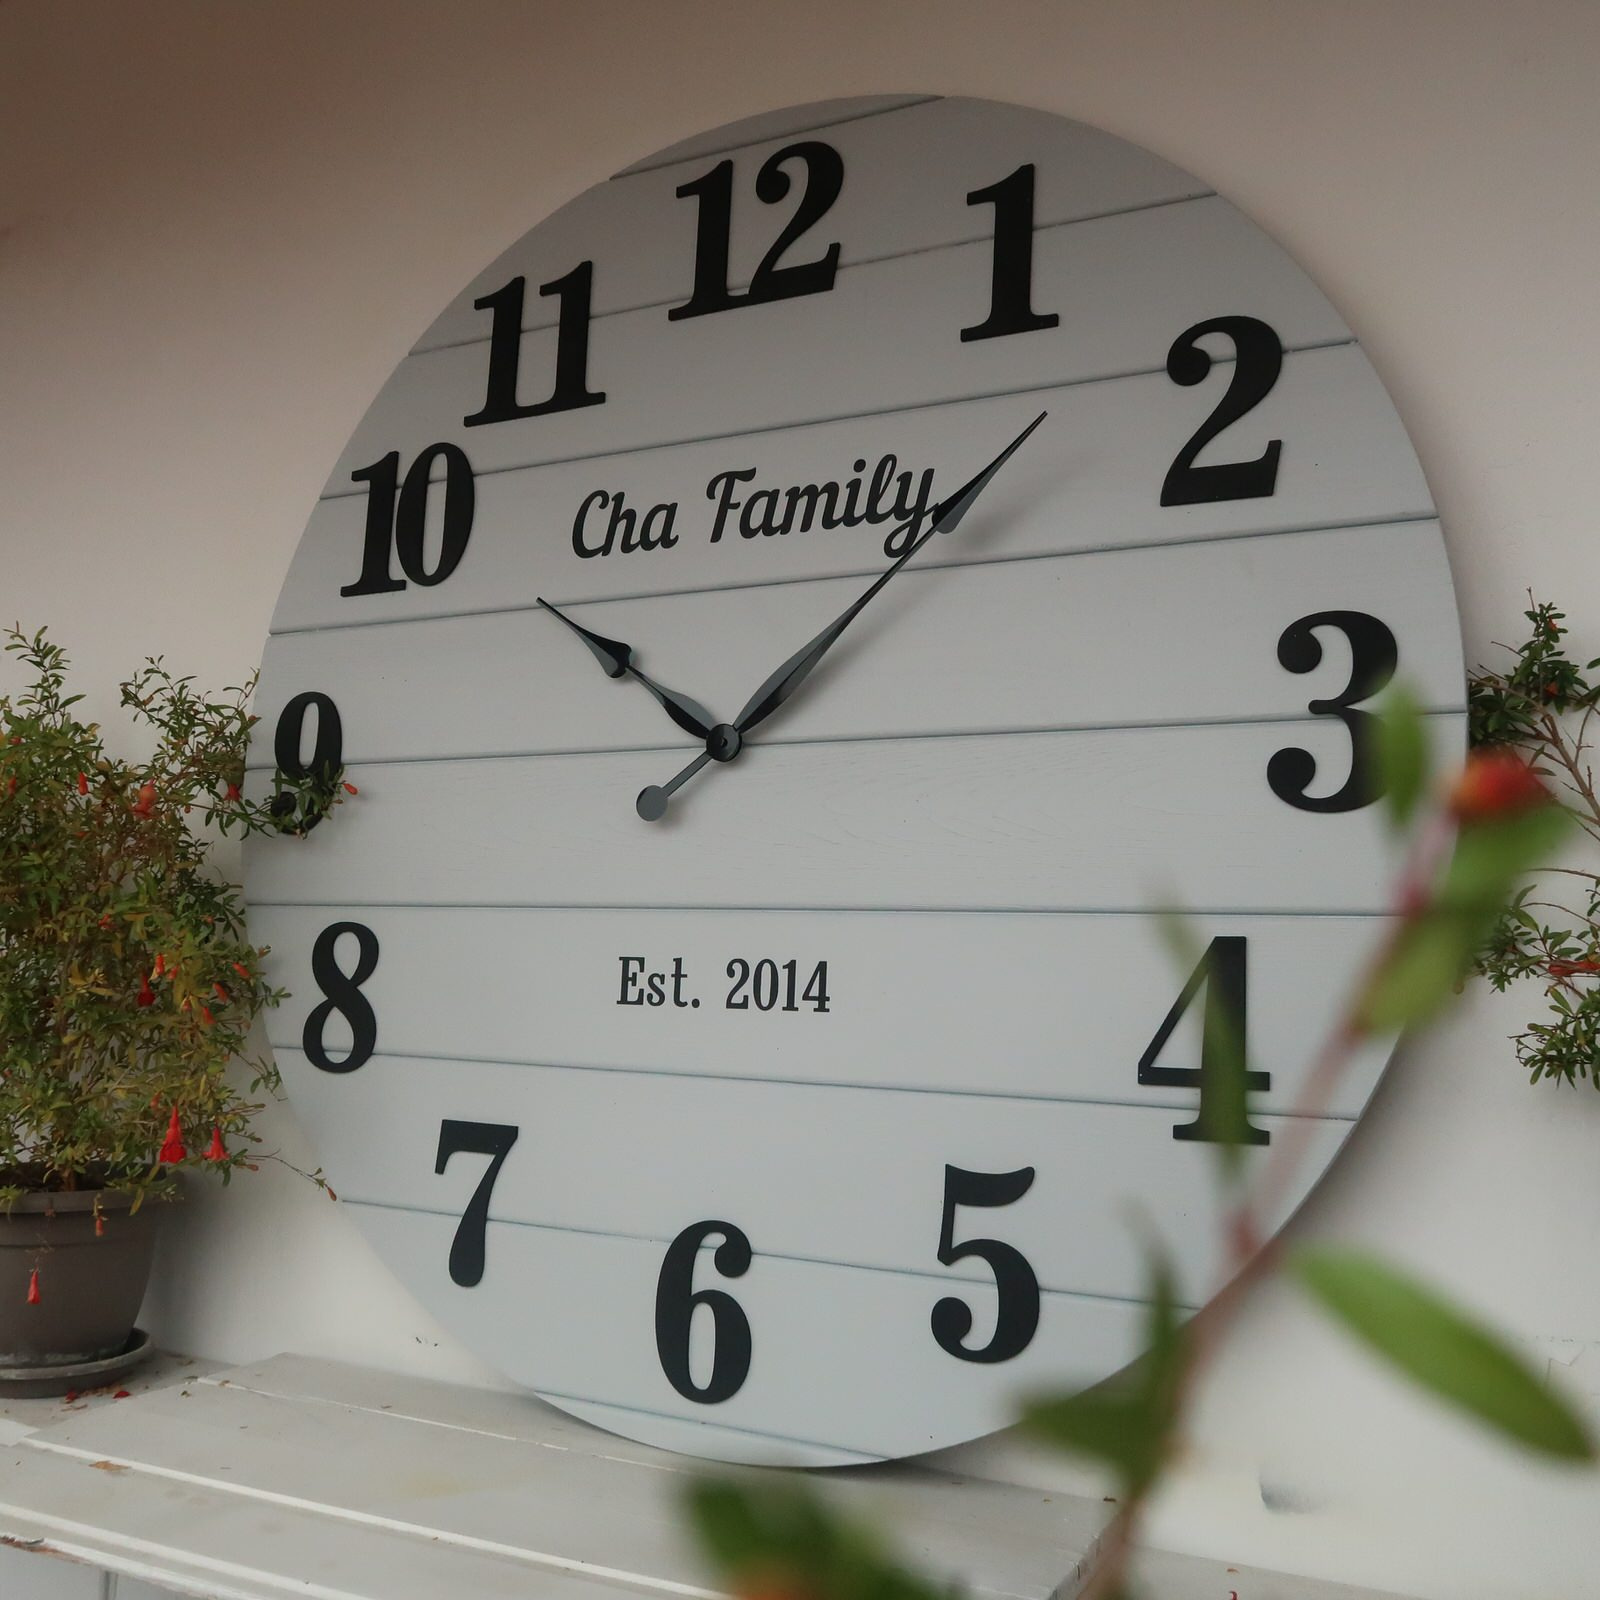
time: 10:07
